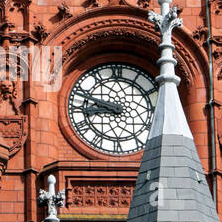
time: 8:47
